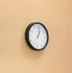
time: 1:02
